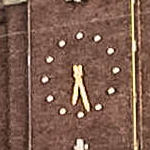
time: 6:27
